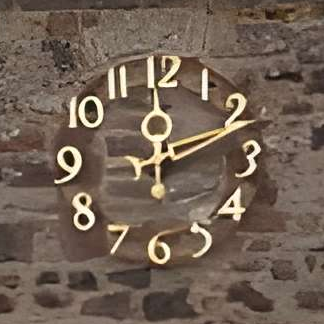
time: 12:11
